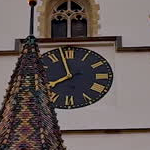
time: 7:57
